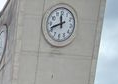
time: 11:41
